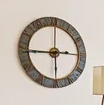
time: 2:45
